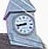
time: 8:43
